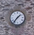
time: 1:36
